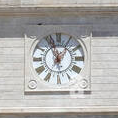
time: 12:57
